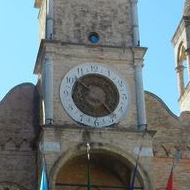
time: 10:23
